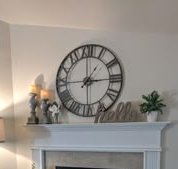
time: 1:14
